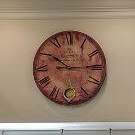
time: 10:14
